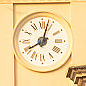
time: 8:02
